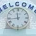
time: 11:43
